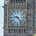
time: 9:23
